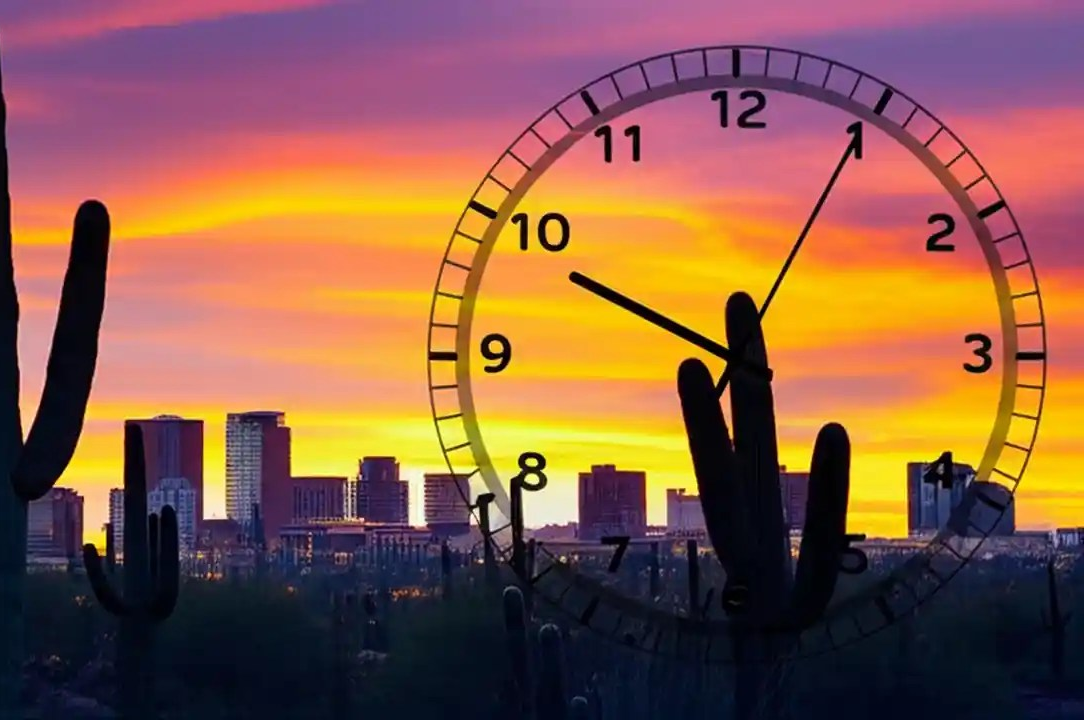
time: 5:49
